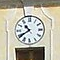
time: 10:39
